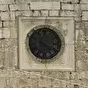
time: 4:19
